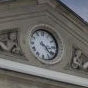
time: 3:22
